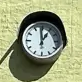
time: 12:59
